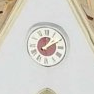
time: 1:09
